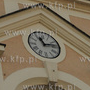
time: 11:13
